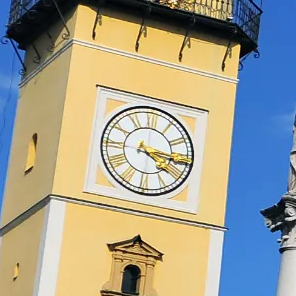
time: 4:16
